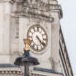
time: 4:21
